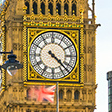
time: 4:22
